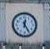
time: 12:24
